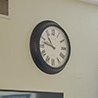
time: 10:47
